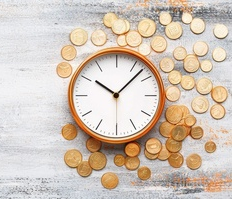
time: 10:07
